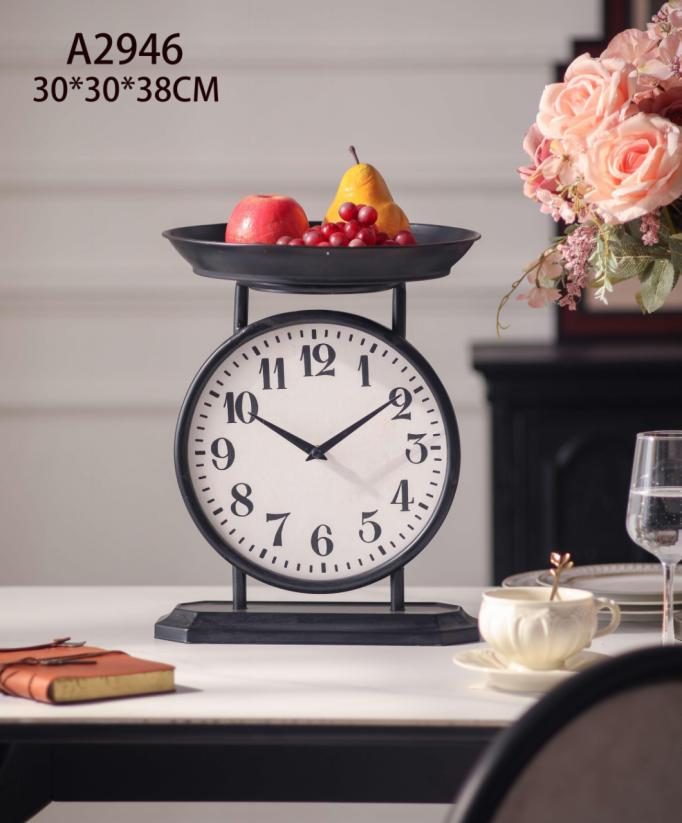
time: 10:09
